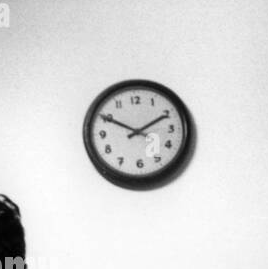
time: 1:49
